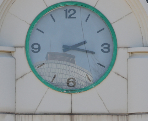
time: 2:17
